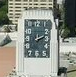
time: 2:11
